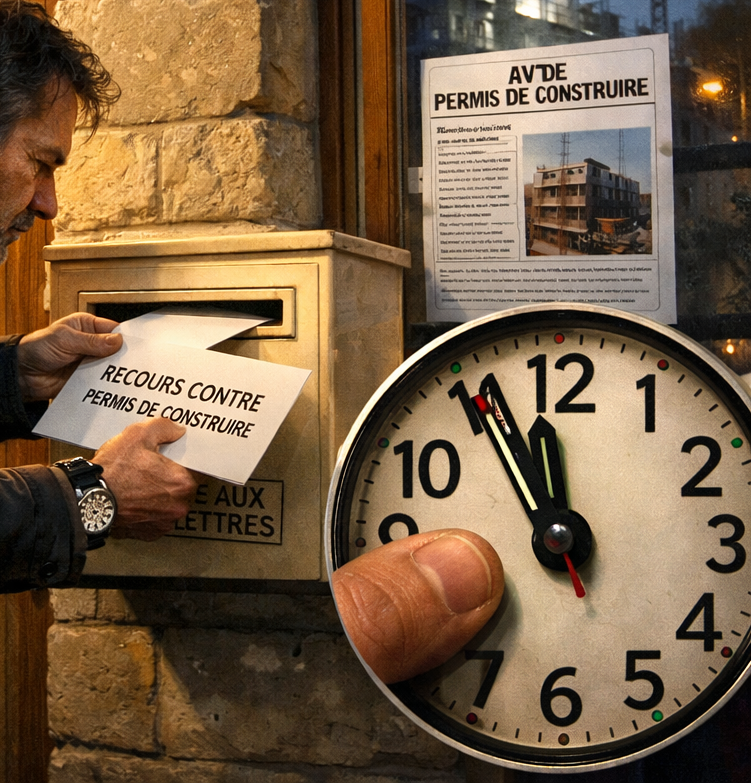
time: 11:55
